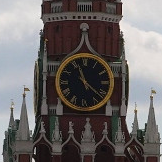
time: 11:21
